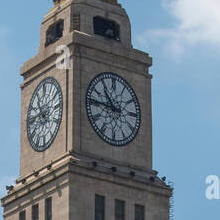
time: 10:45
